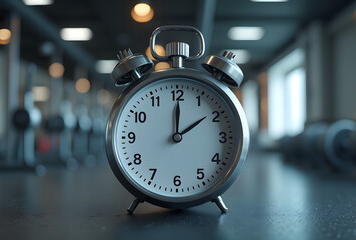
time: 2:00
